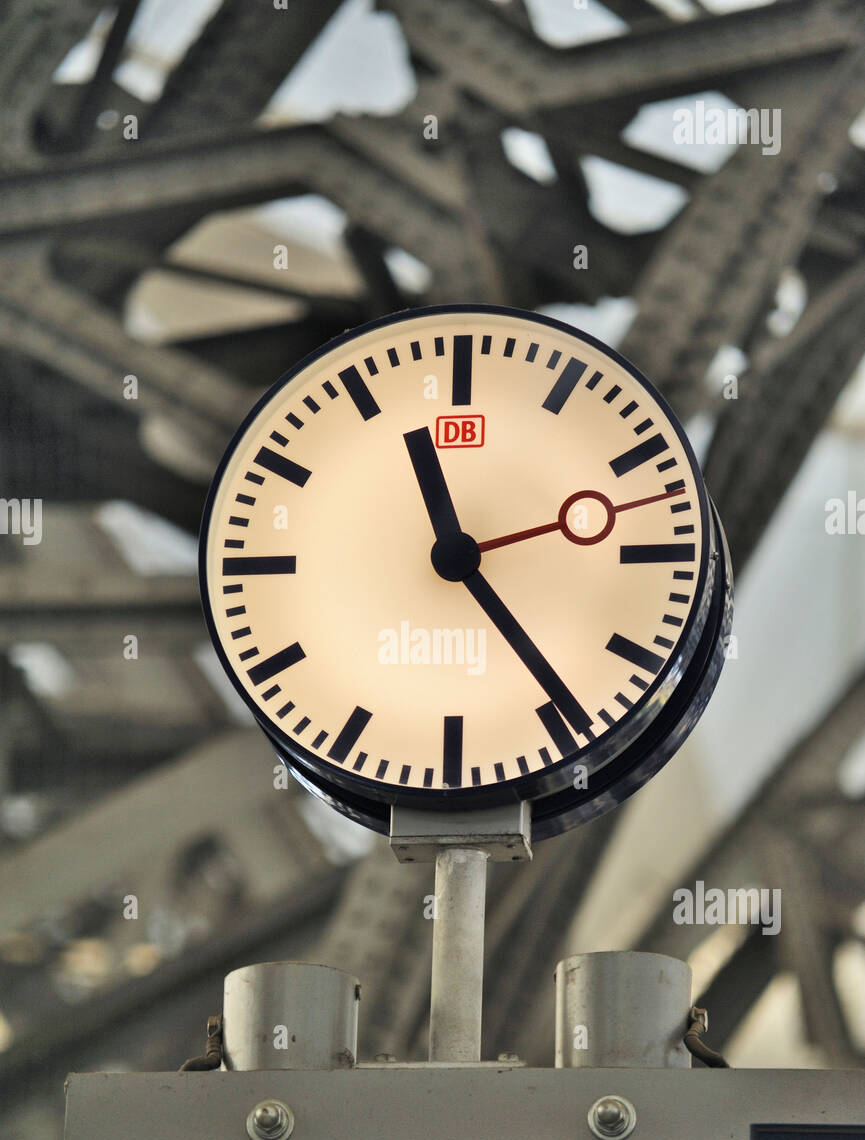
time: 11:23
